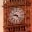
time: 9:22
